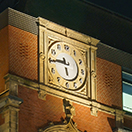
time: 5:44
